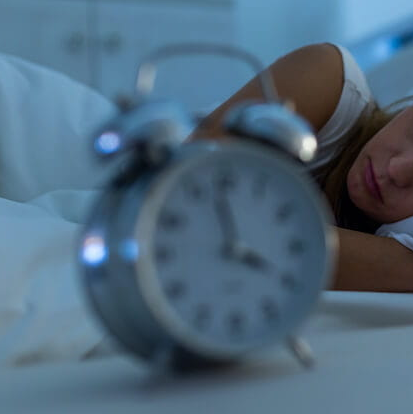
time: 3:58
